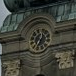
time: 12:34
